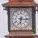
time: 6:15
